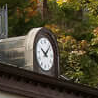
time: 10:07
